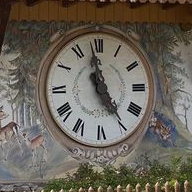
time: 4:58
